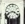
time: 3:41
